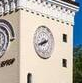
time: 7:40
